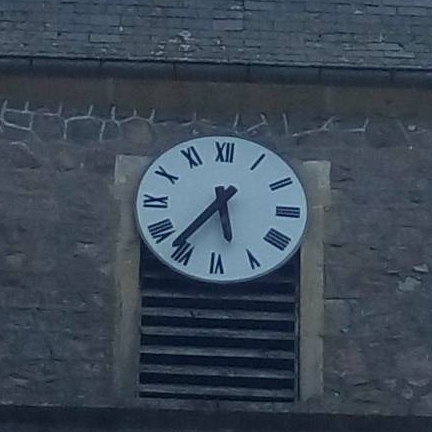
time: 5:36
